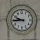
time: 9:44
